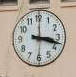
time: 3:17
